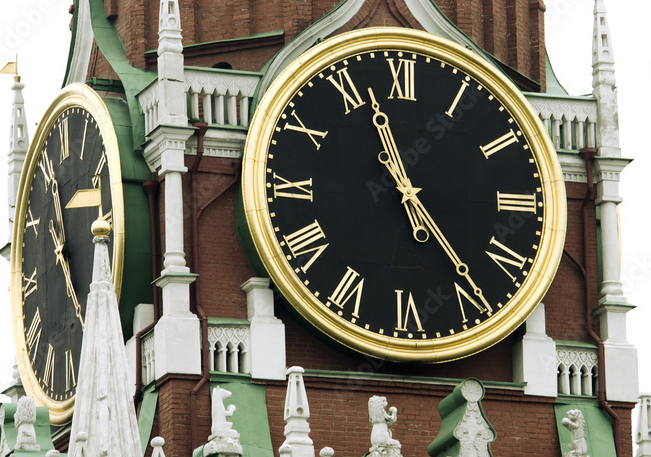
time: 11:23
